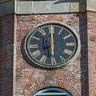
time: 5:59
